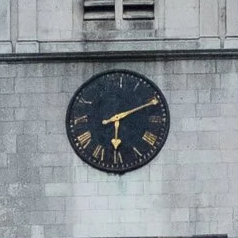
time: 6:10
